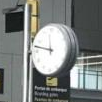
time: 11:47
